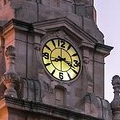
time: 8:18
